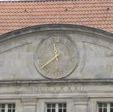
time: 11:38
